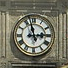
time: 2:57
